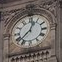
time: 12:37
